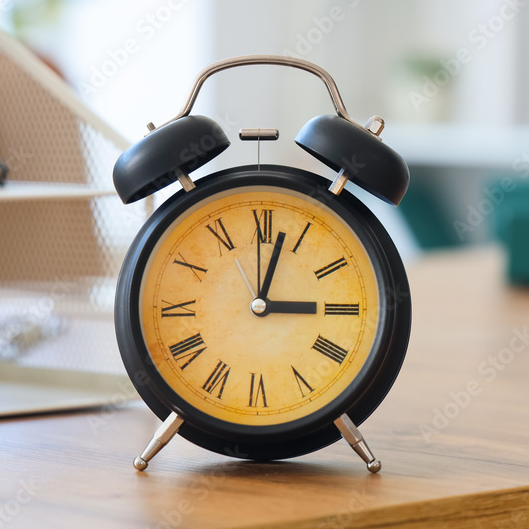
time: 3:02
